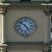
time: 4:51
